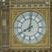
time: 8:01
